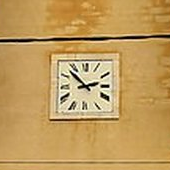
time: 2:52
